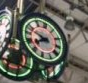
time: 7:47
